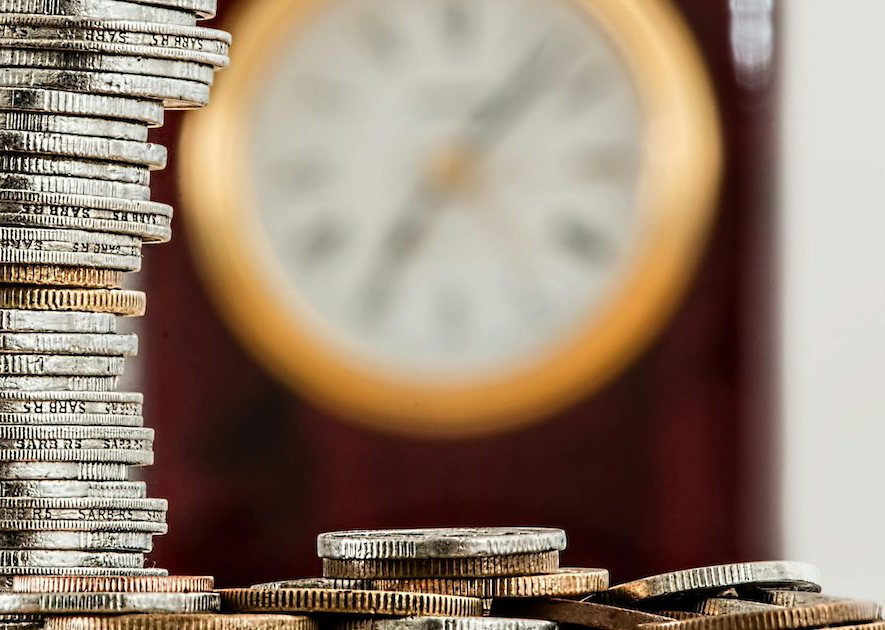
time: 7:07
